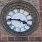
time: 3:45
